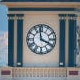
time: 3:58
